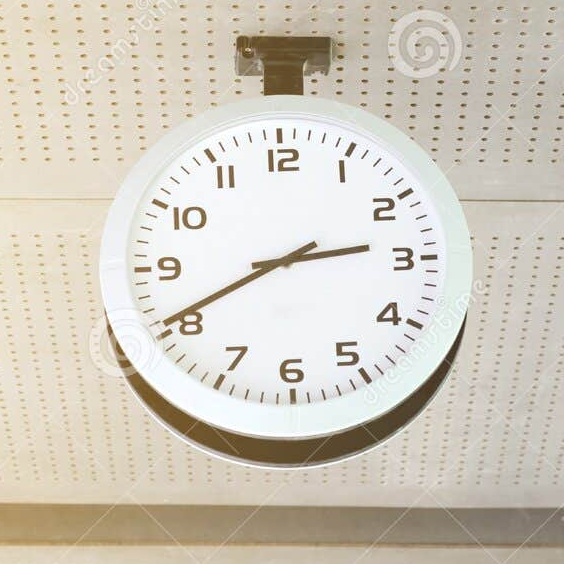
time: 2:40
